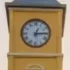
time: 1:14
